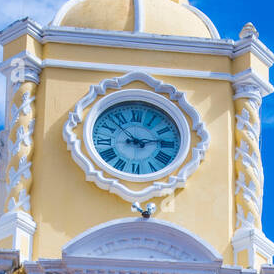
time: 2:53
